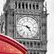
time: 4:47
